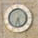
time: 5:33
